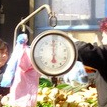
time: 5:59
